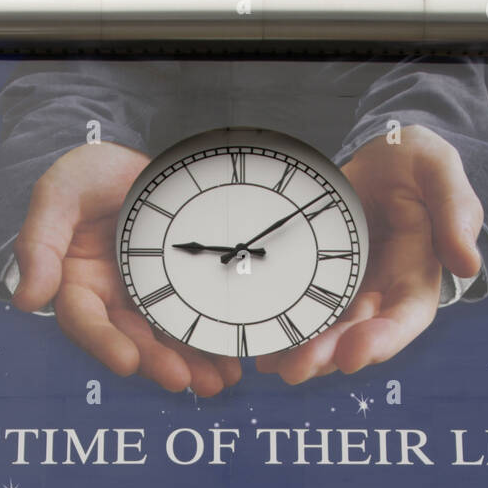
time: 9:08
